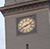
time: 8:11
